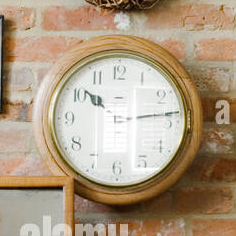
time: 10:14
